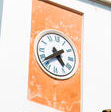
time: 4:38
